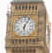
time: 6:05
